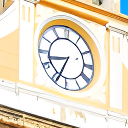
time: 8:34
